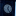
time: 12:24
